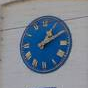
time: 1:09
